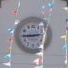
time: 2:44
